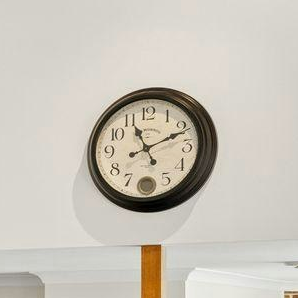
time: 11:11
